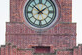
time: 1:51
